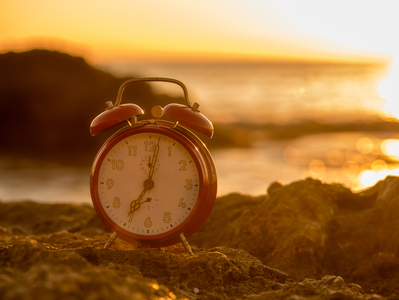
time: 7:02
